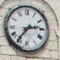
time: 2:36
